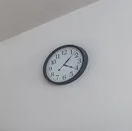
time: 4:07
